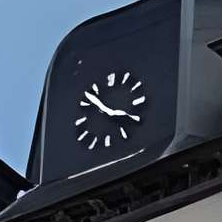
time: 3:52
